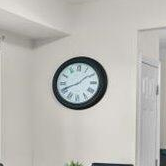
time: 1:41
